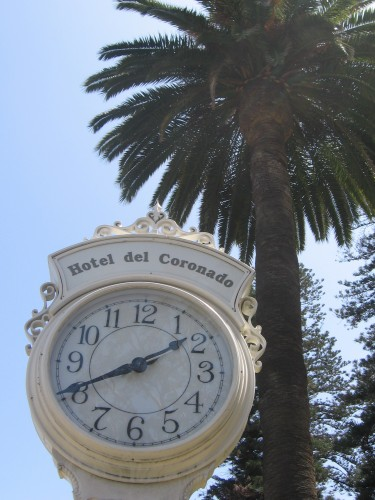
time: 1:40
